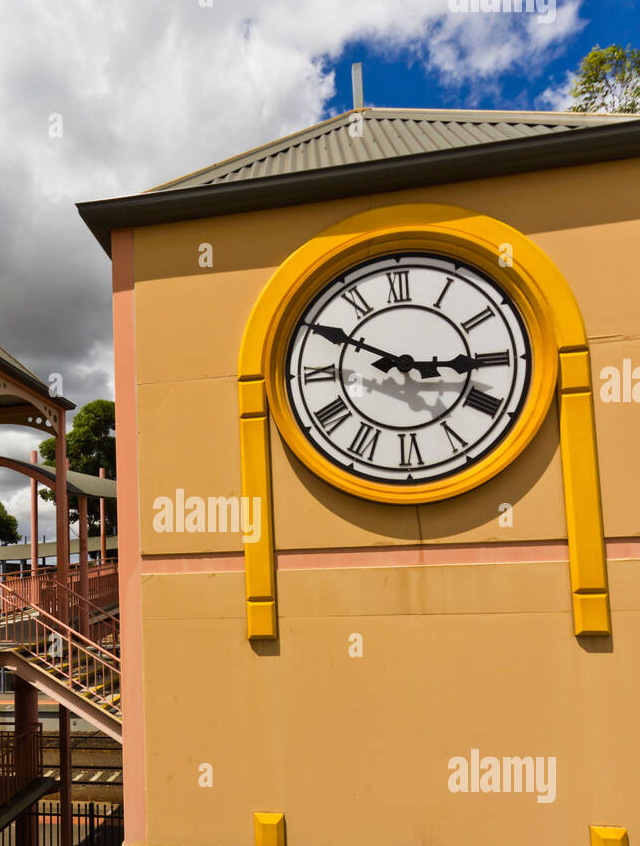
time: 2:49
